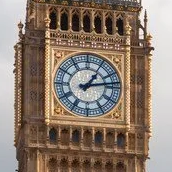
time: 1:13
